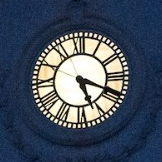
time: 5:18
